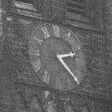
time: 2:23
